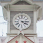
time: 4:14
